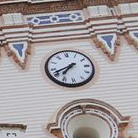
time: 7:41
